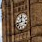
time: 11:42
